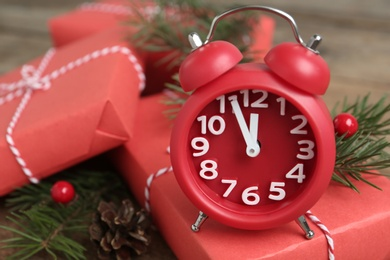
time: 11:55
